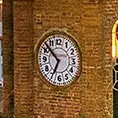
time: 6:52
